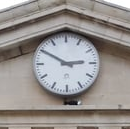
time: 2:50
